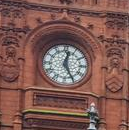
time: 12:25
